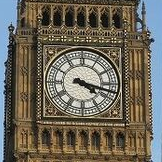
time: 4:17
